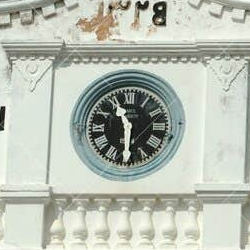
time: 5:55
